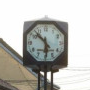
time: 5:52
